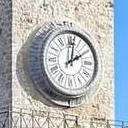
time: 2:01
